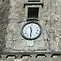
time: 11:30
